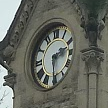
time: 2:29
